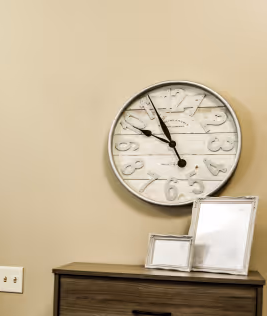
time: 9:55
